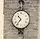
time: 10:36
